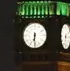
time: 6:29
